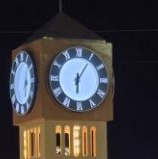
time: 6:05
